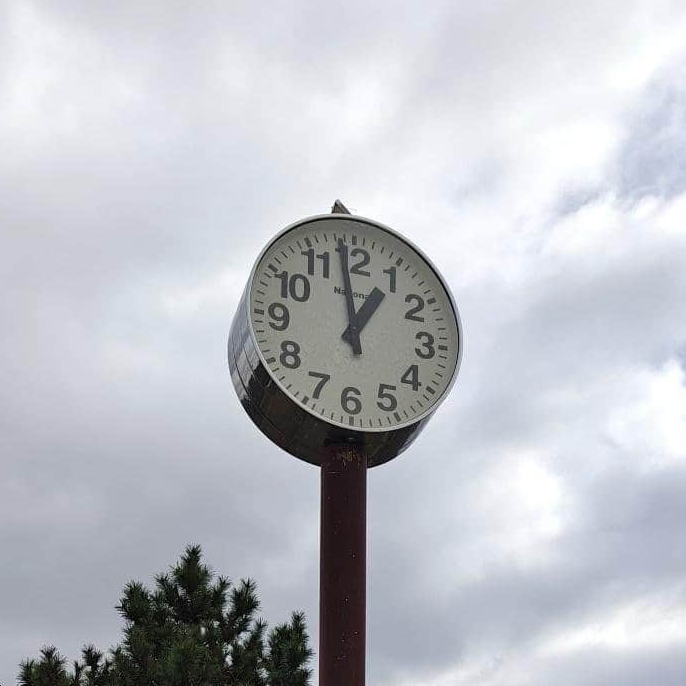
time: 12:58
